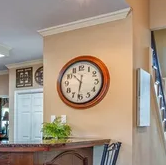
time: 10:31
